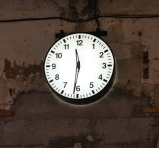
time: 11:31
